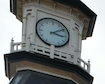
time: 3:09
